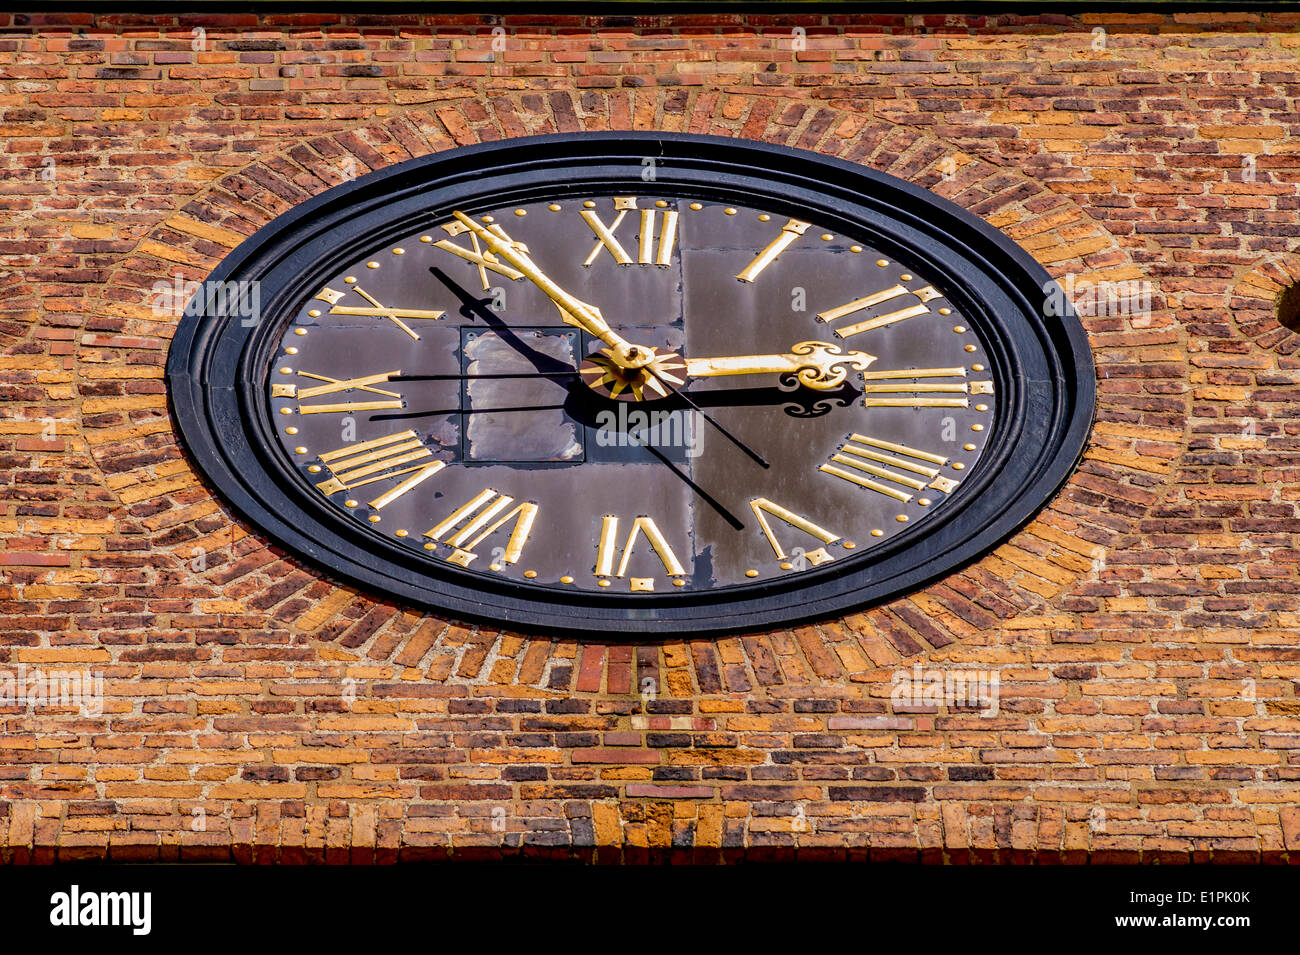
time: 2:53
